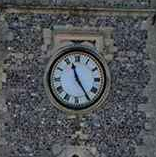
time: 11:24
